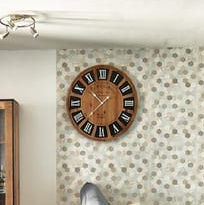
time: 10:37
